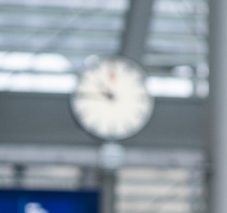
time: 10:45
